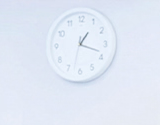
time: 1:18
